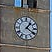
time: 1:20
